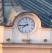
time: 7:43
